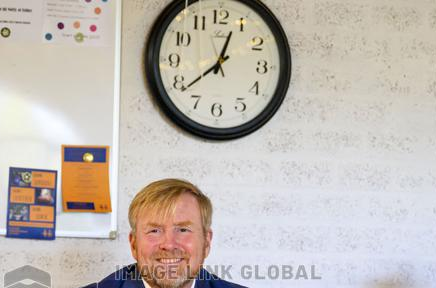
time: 12:38
